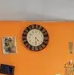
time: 4:29
